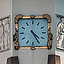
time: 4:24
